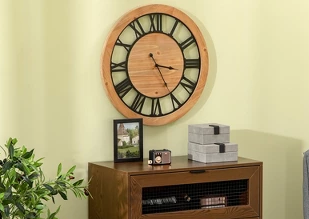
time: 3:24
